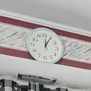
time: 12:04
